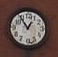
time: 12:54
